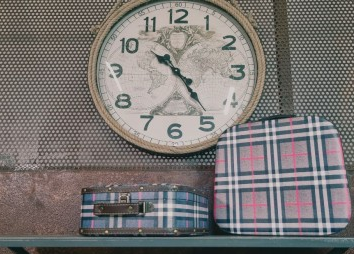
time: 10:24
